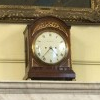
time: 4:37
